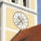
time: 10:36
